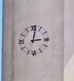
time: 3:01
